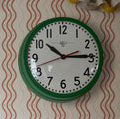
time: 10:14
